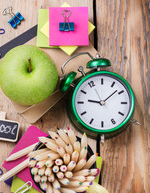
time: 9:08
